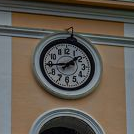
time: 1:44
